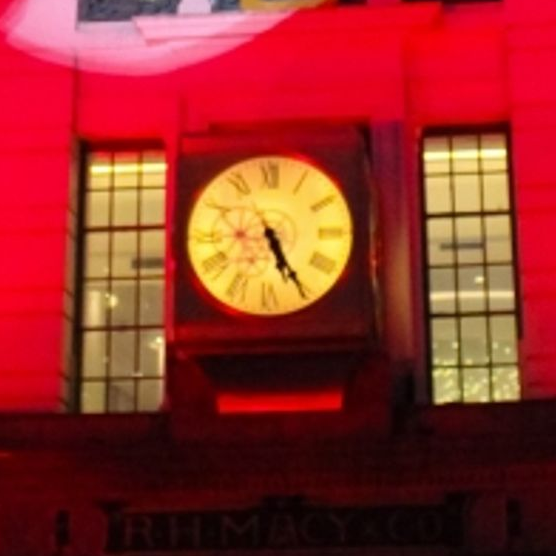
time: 5:24
